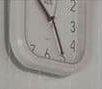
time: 10:24
